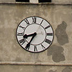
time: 8:35
